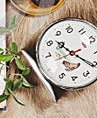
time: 10:20
